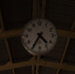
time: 4:35
